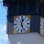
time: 12:26
